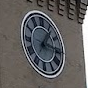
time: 1:16
